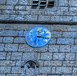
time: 12:16
